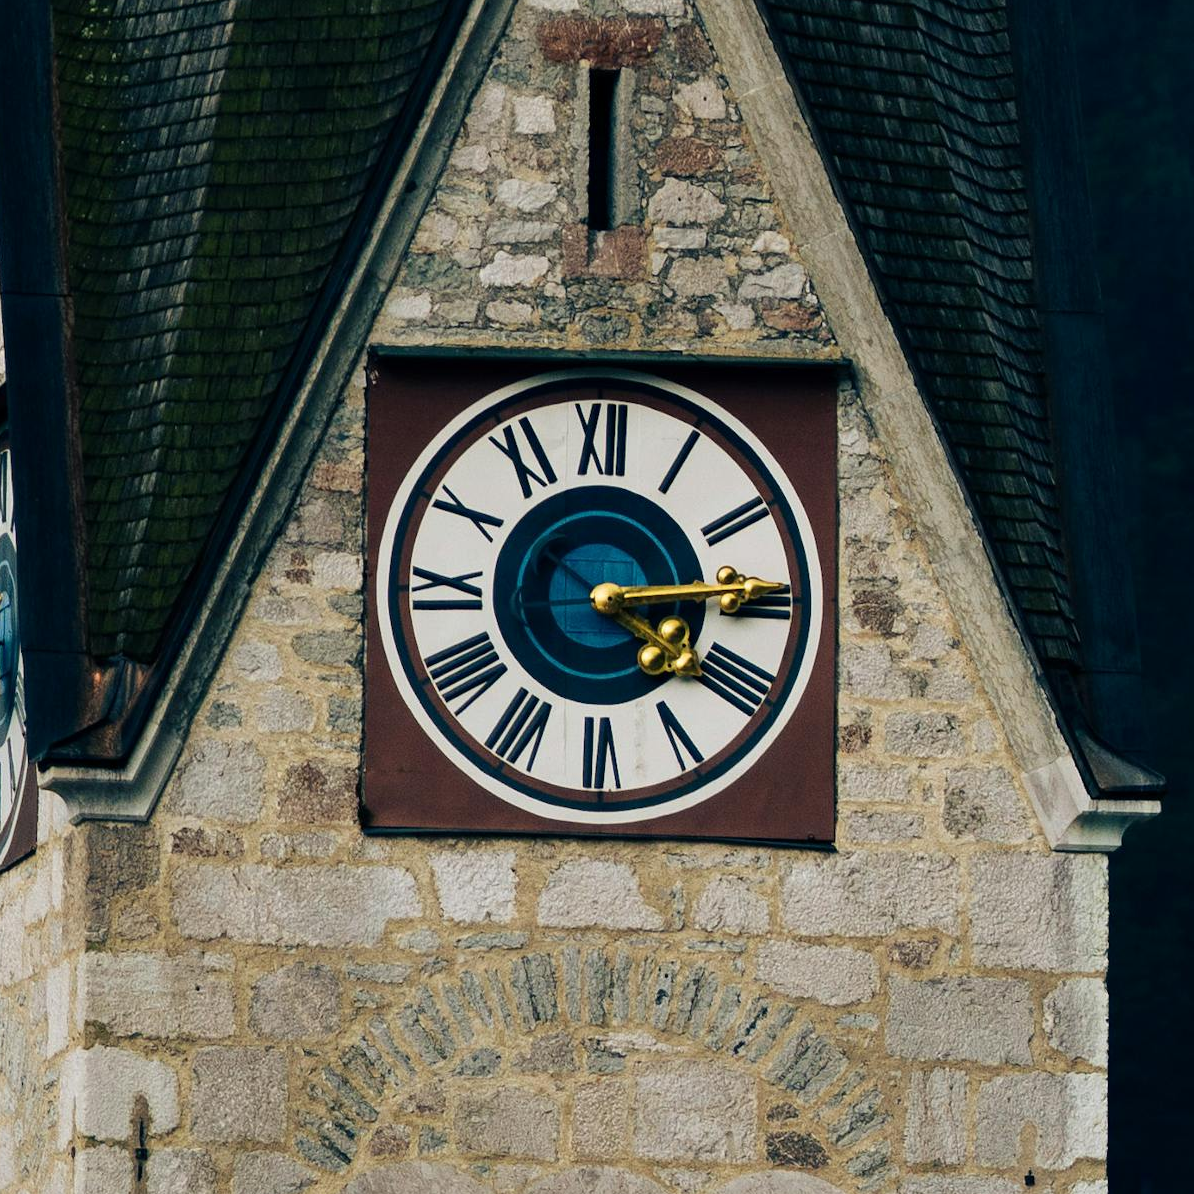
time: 4:14
